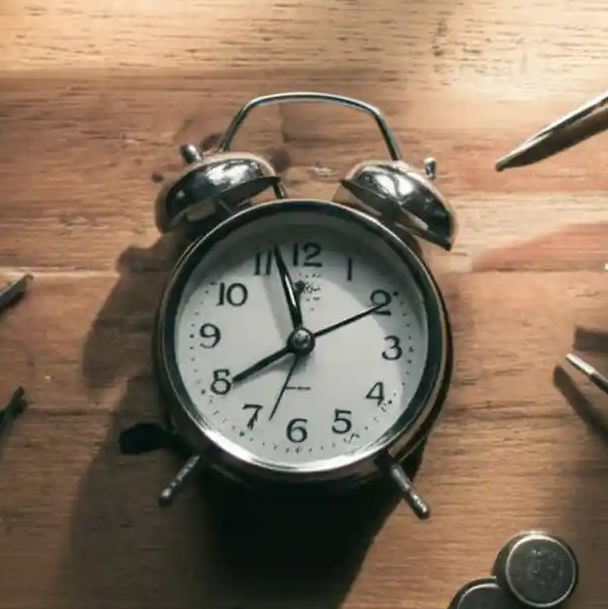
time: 7:57
